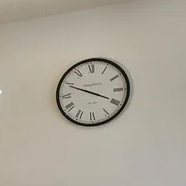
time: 3:48
